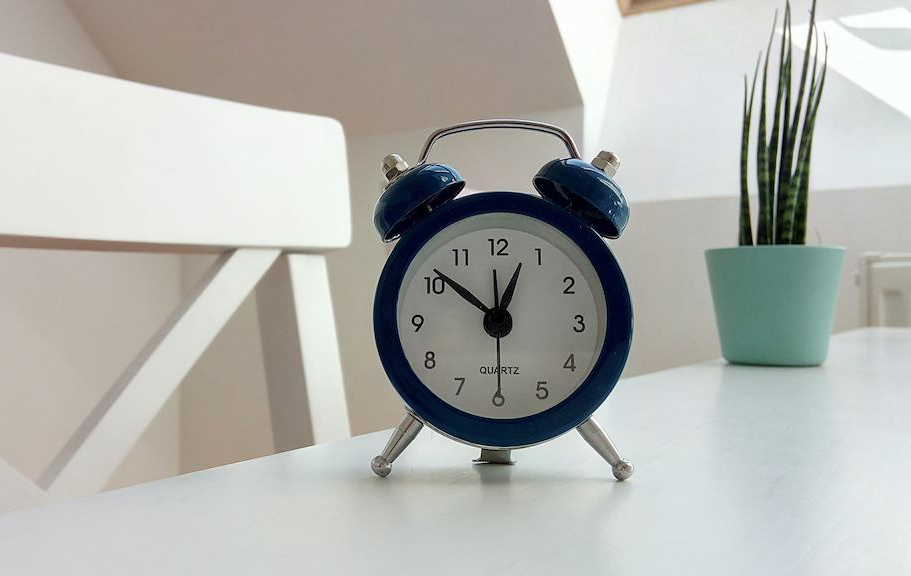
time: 12:51
